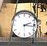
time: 2:16
